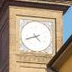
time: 4:42
